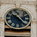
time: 10:22
